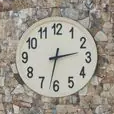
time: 2:32
